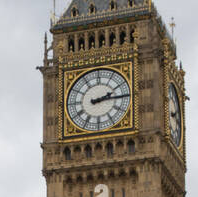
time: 2:14
